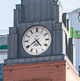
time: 4:39
